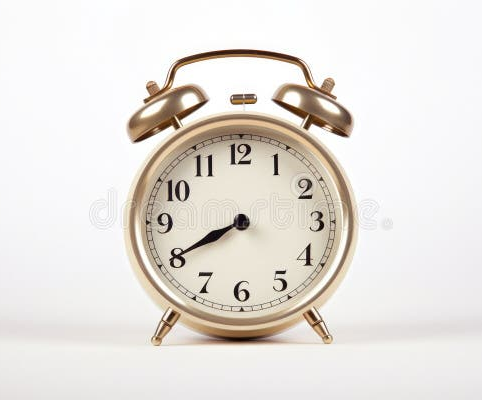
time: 7:40
